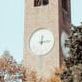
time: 12:14
